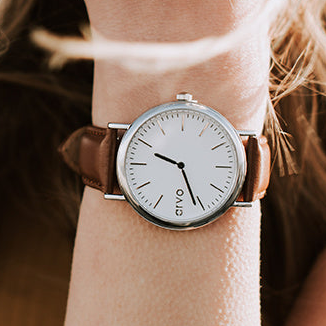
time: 9:26
